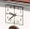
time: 9:38
